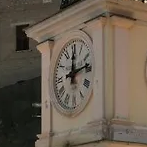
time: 12:13
